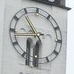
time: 5:53
